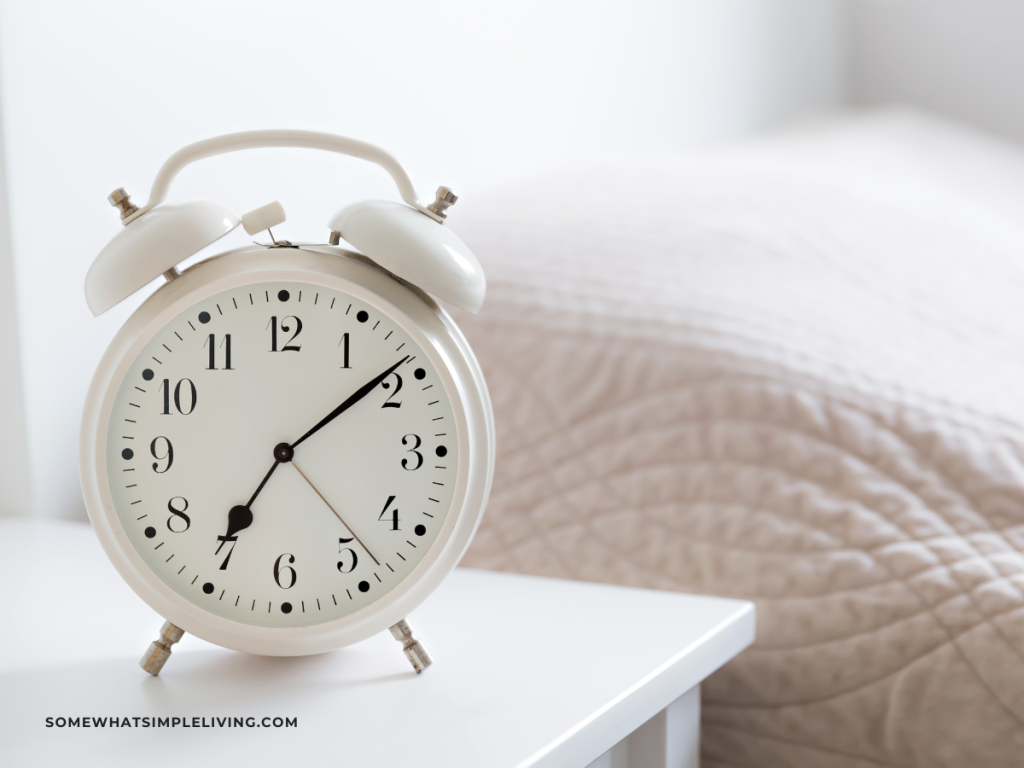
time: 7:08
